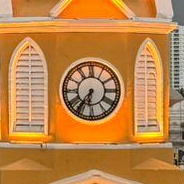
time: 6:36
